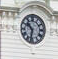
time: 10:32
